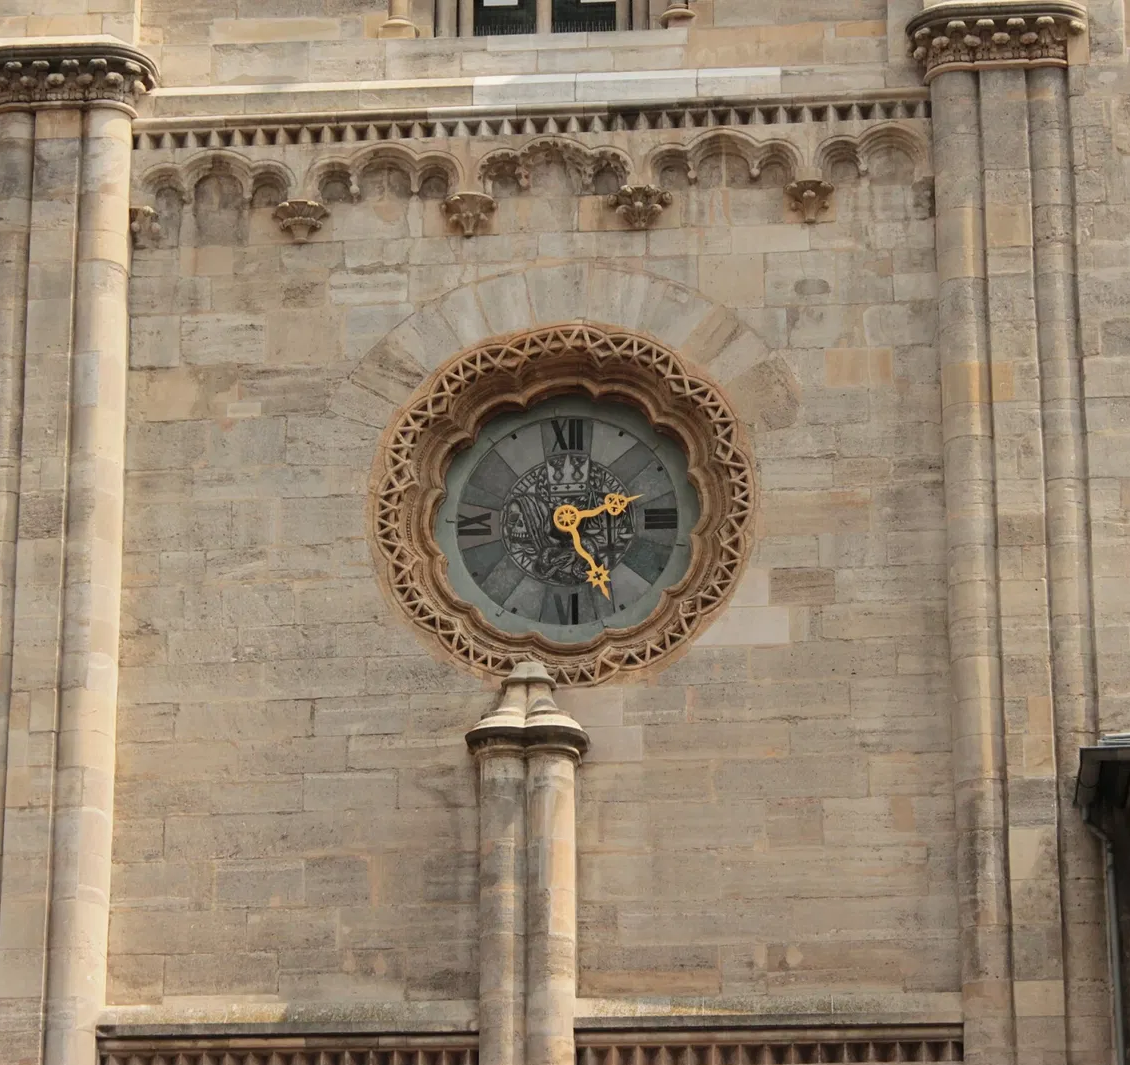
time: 2:23
